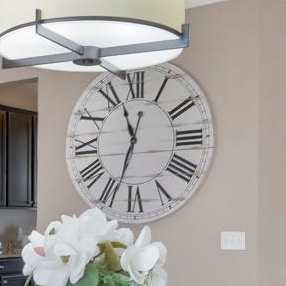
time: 11:33
